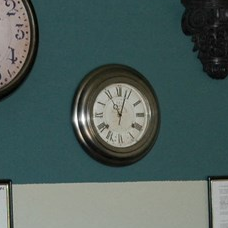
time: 11:03
